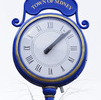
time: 1:07
